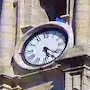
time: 5:21
